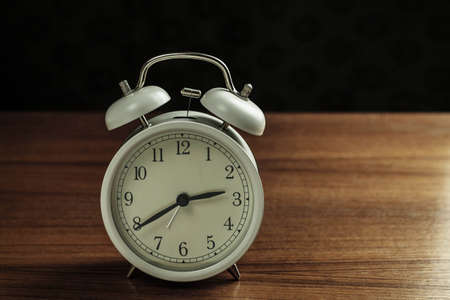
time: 2:39
